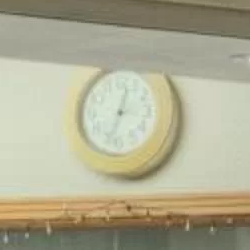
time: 12:33
